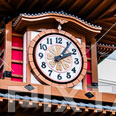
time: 2:06
